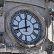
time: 11:41
